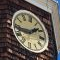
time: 1:43
